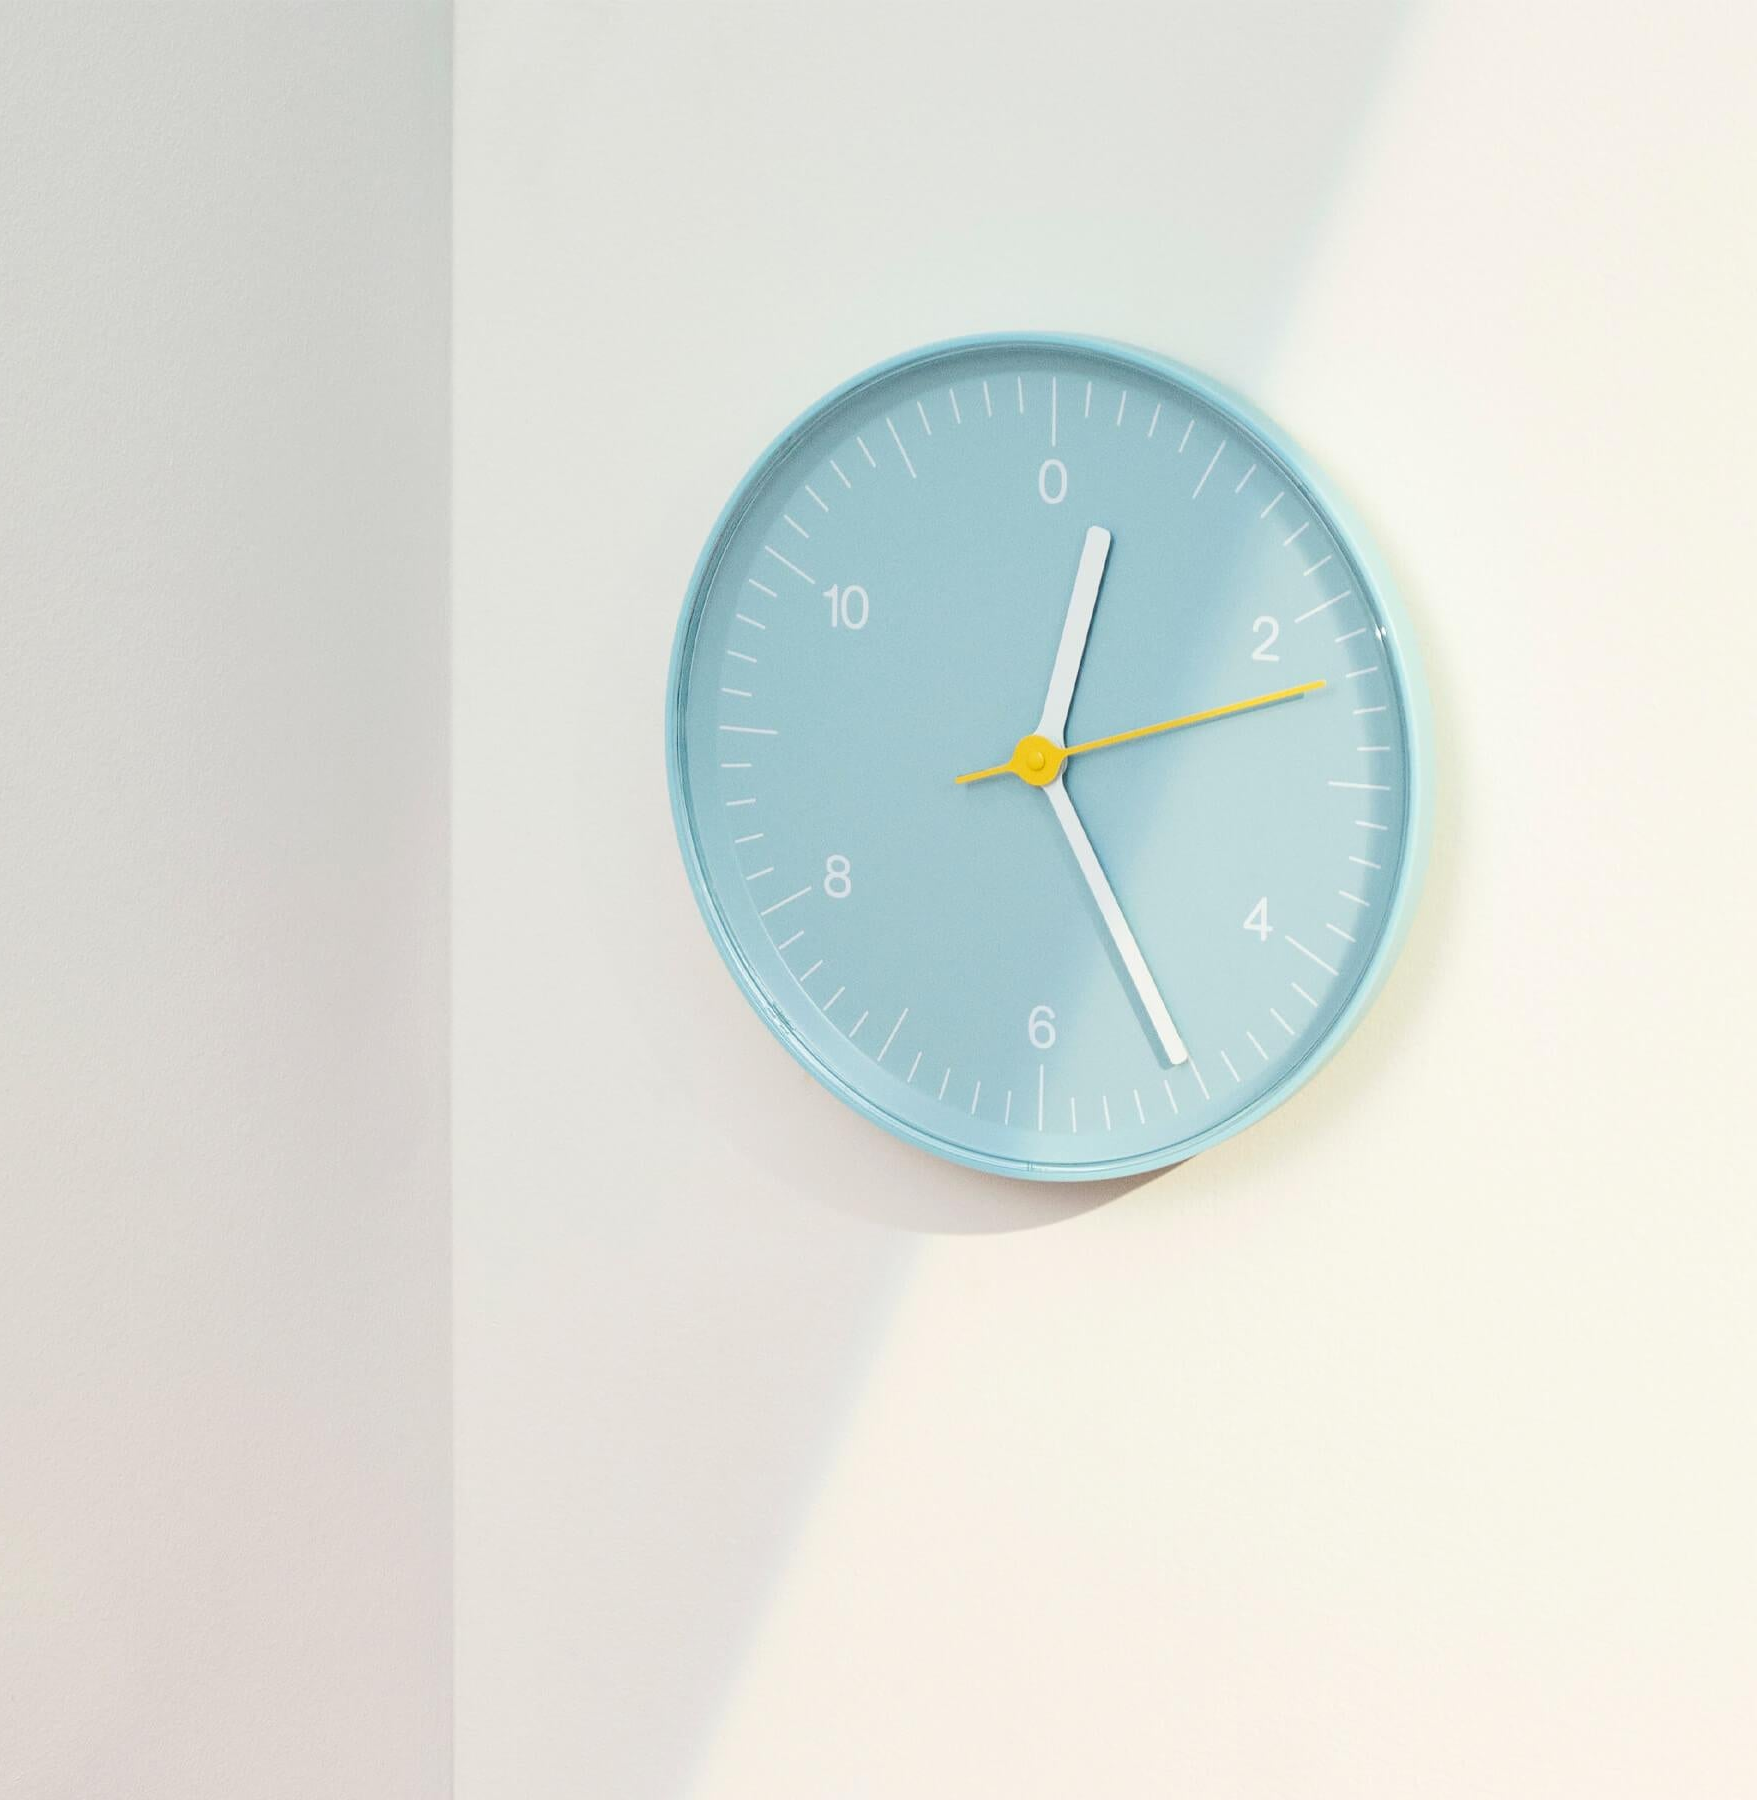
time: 12:25
